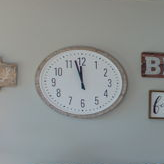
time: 11:57
